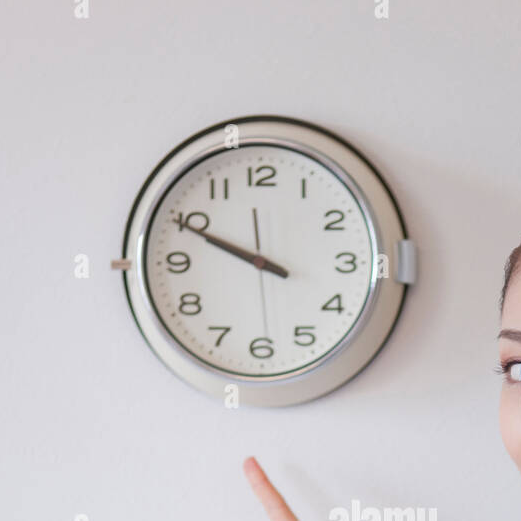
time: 9:49
